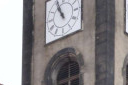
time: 10:56
